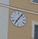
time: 7:06
